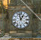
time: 12:57
